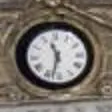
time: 11:32
